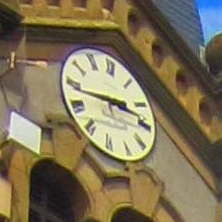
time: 2:43
